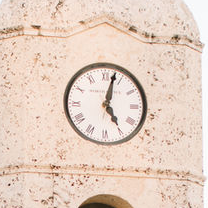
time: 5:02
